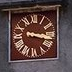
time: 3:17
